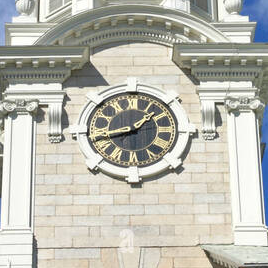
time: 1:42
